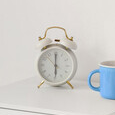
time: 6:00
